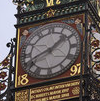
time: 1:41
